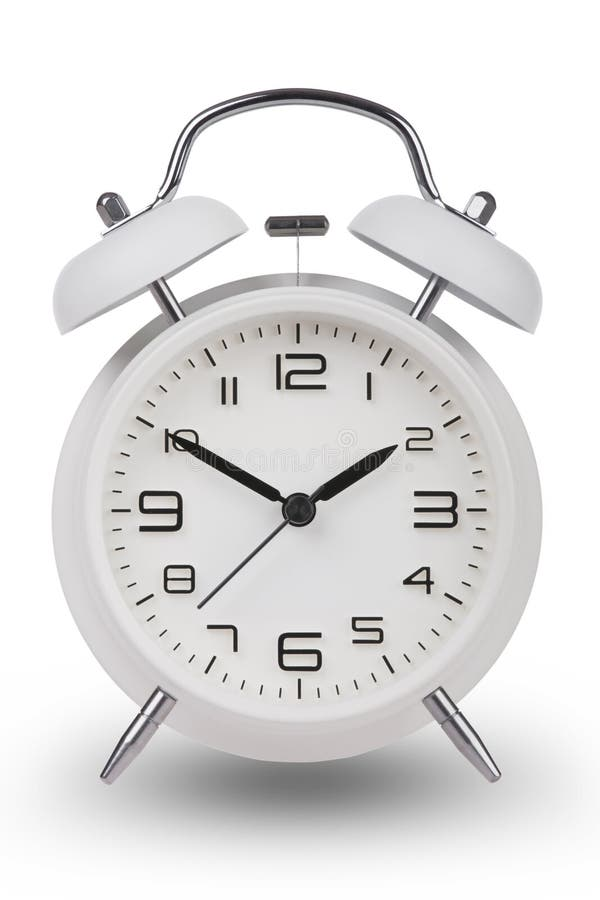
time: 1:50
